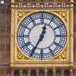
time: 12:34
